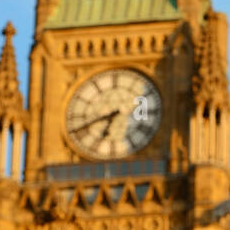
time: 6:41
